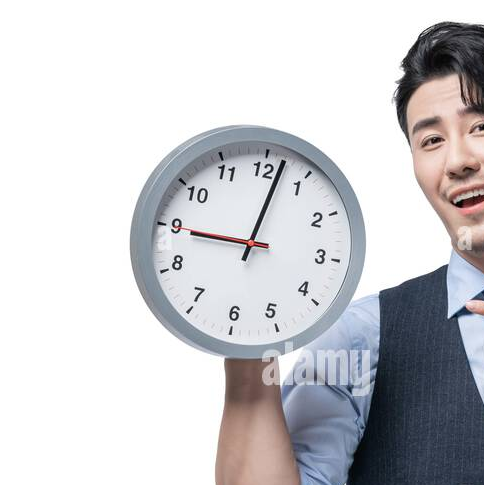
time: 9:01
